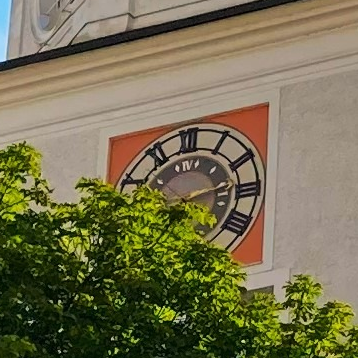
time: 7:12
